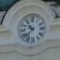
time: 10:37
